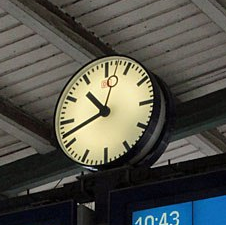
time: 10:41
